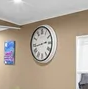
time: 2:43
